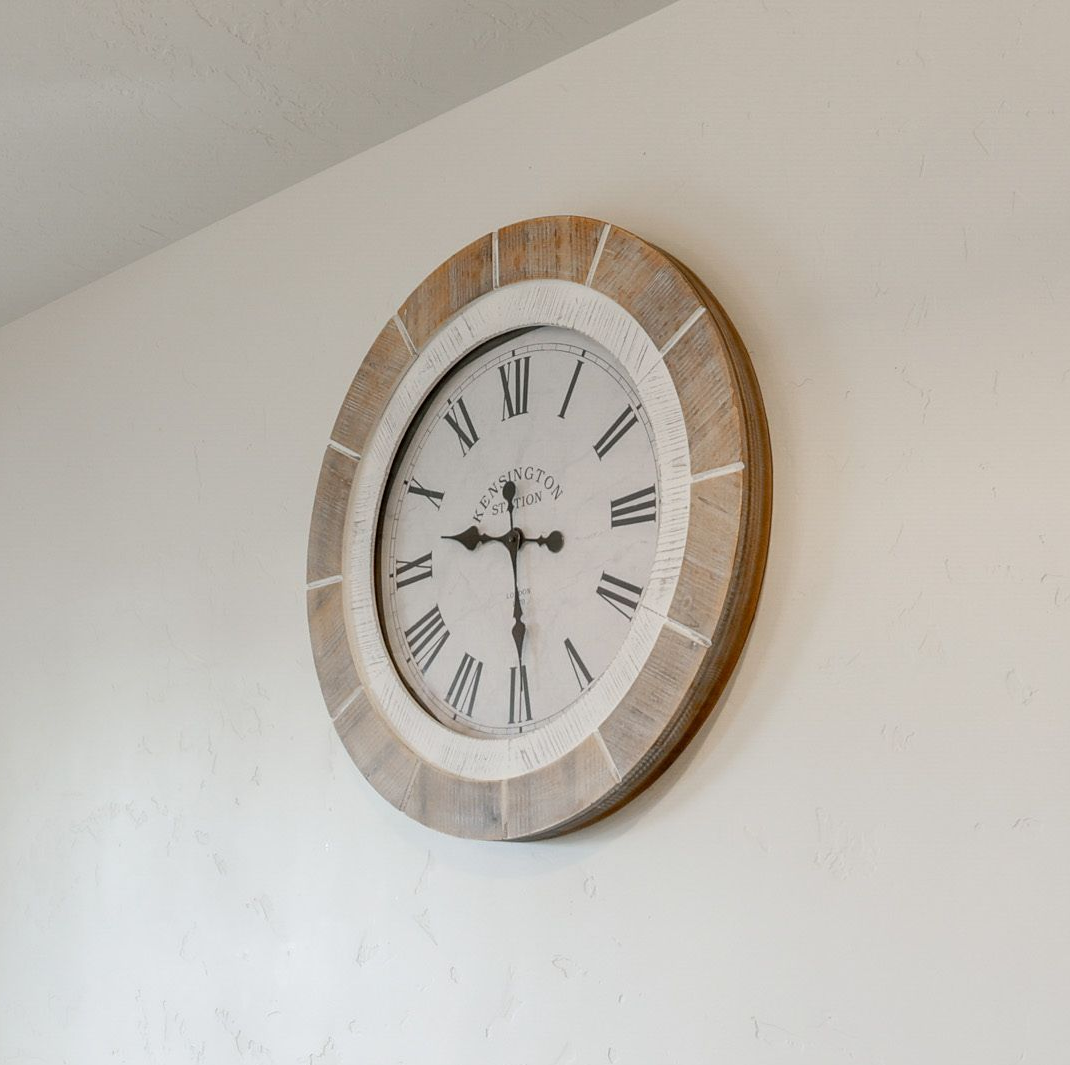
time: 9:29
